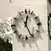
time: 12:25
